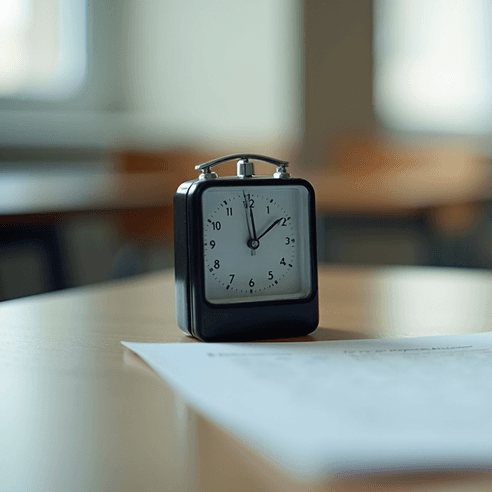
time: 12:09
